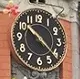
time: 10:21
